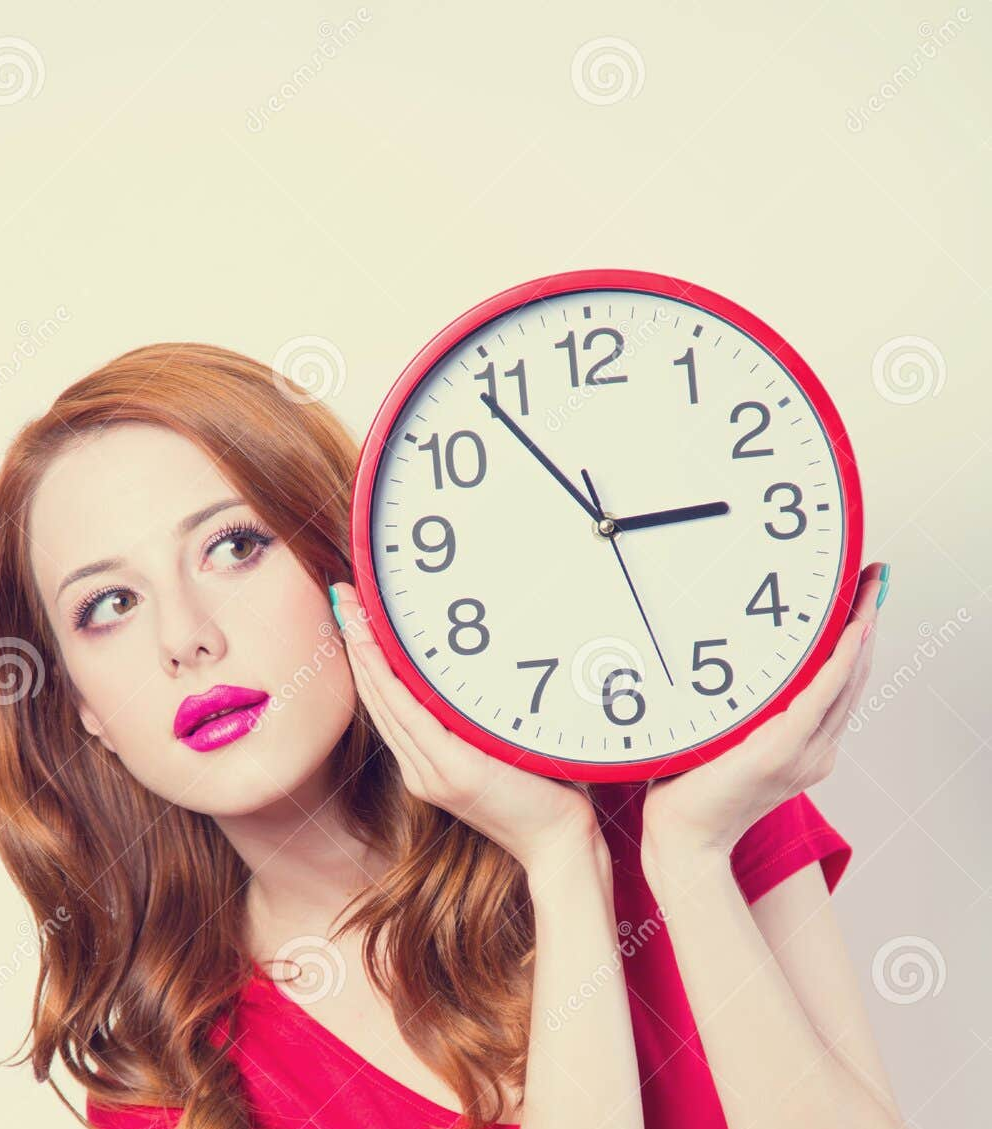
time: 2:53
